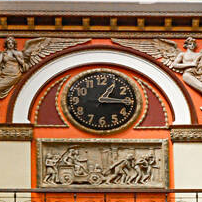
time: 1:15
